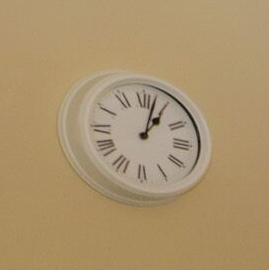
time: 1:02
